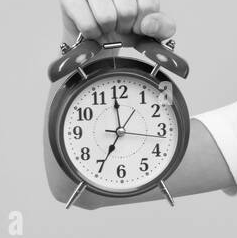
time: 6:58
